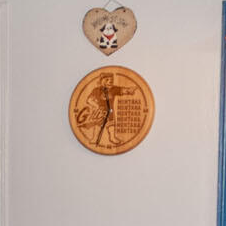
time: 11:33
